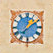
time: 1:09
